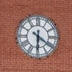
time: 6:20
